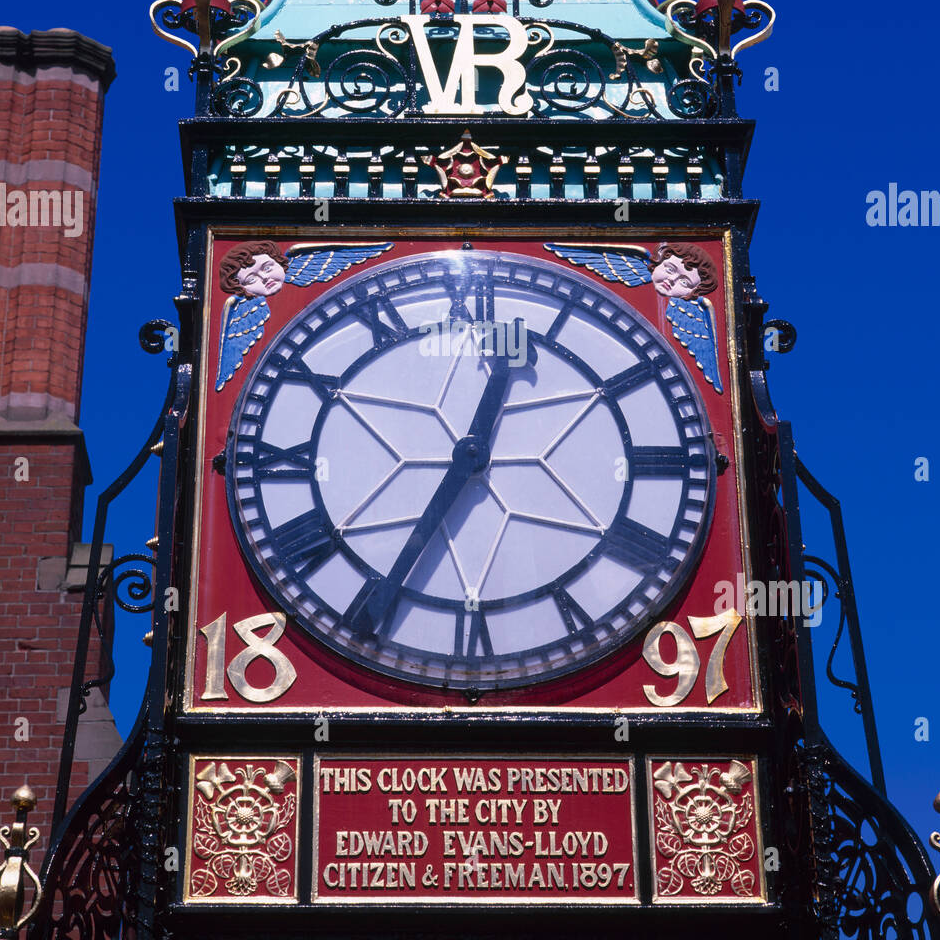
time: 12:34
